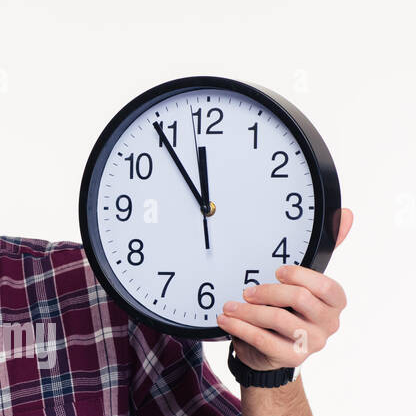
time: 11:54
